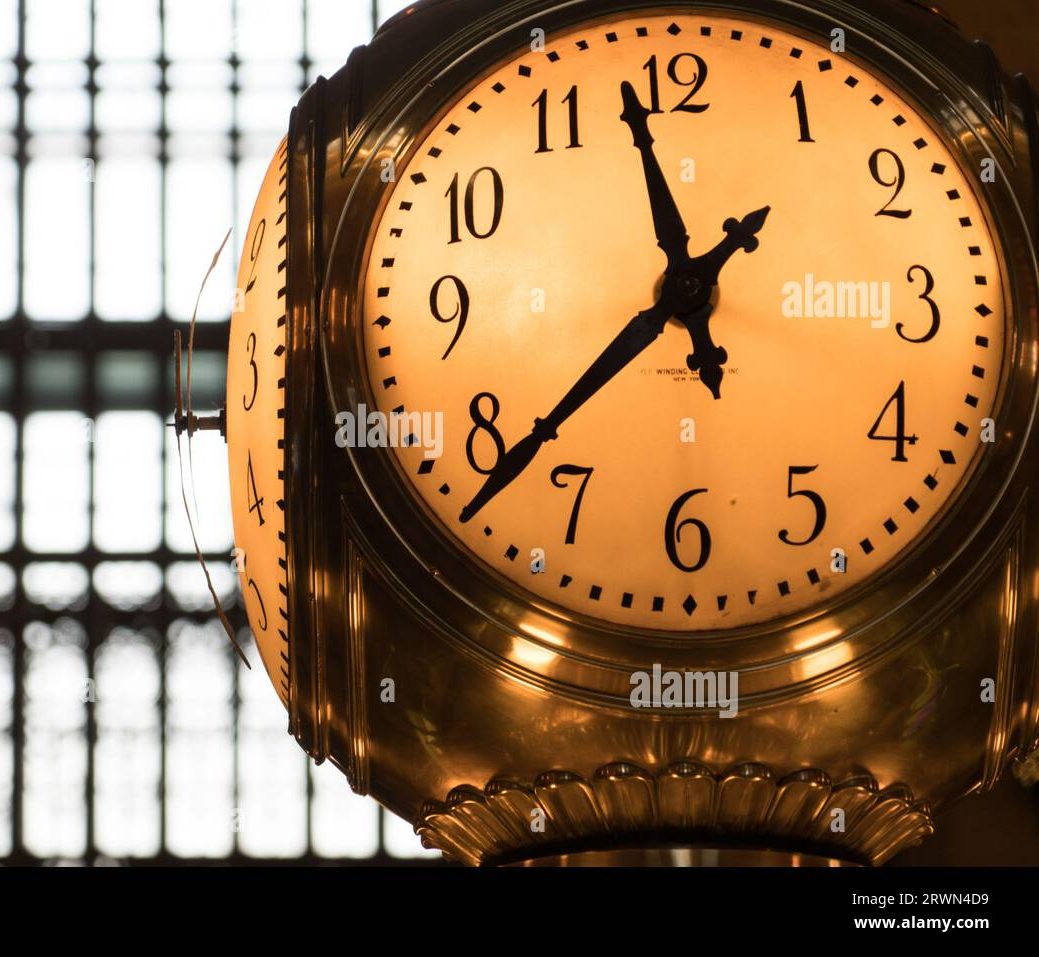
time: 11:37
